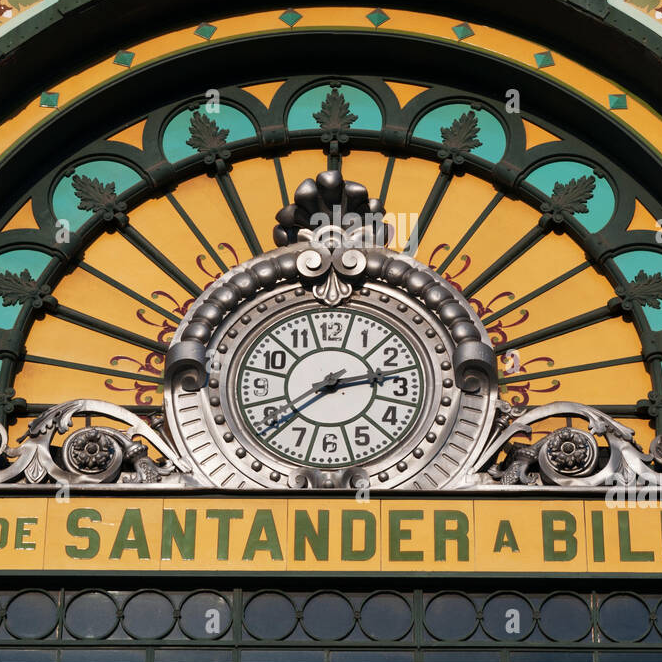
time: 2:38
